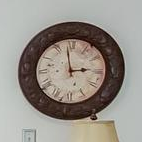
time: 2:58
